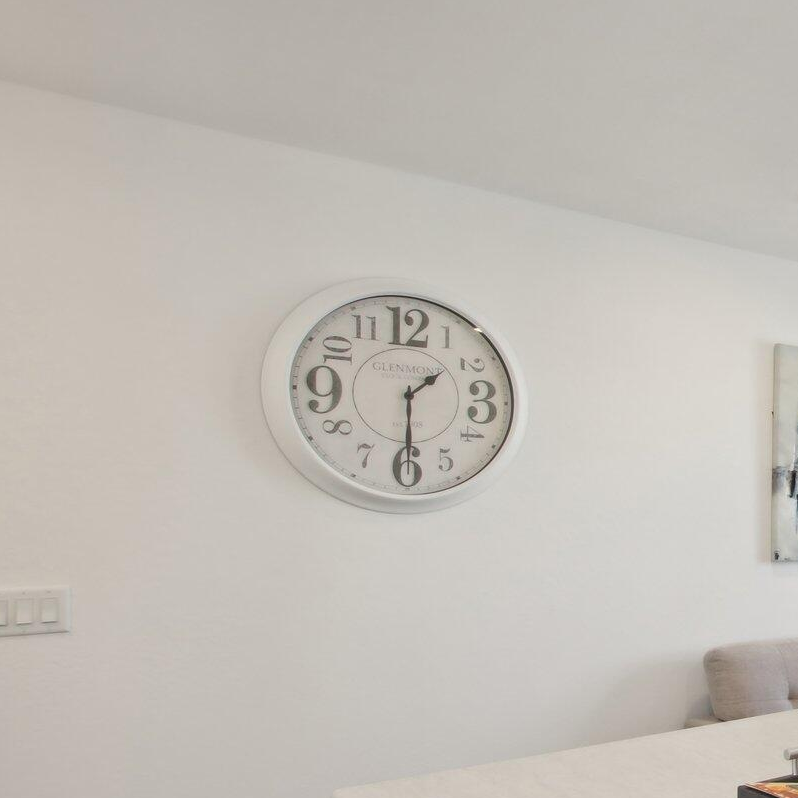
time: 1:30
